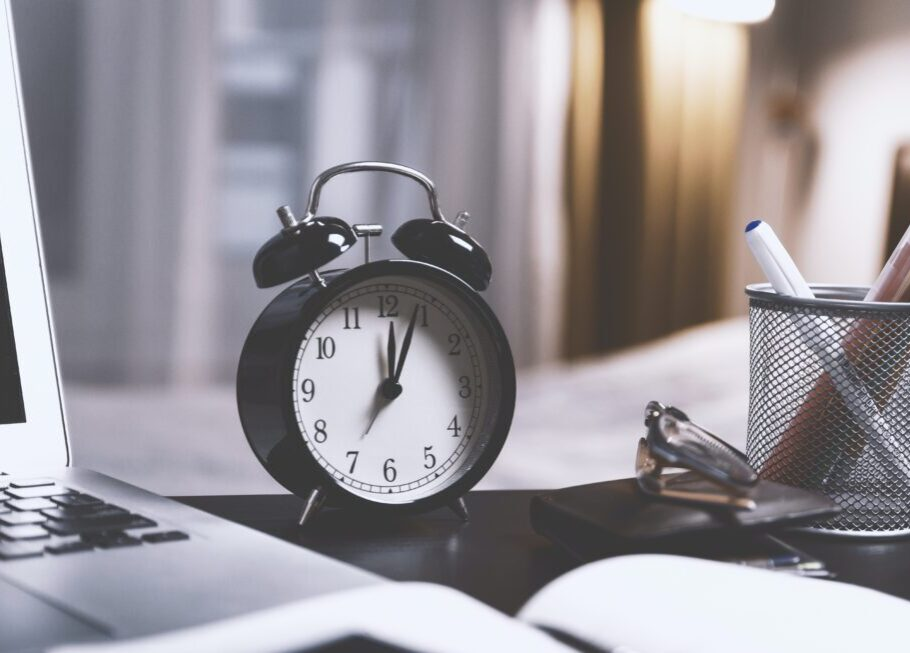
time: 12:03
